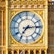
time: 7:14
